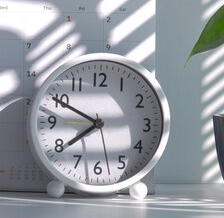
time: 7:49
